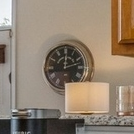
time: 12:12
